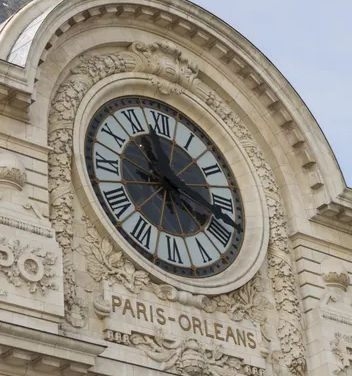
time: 11:17
